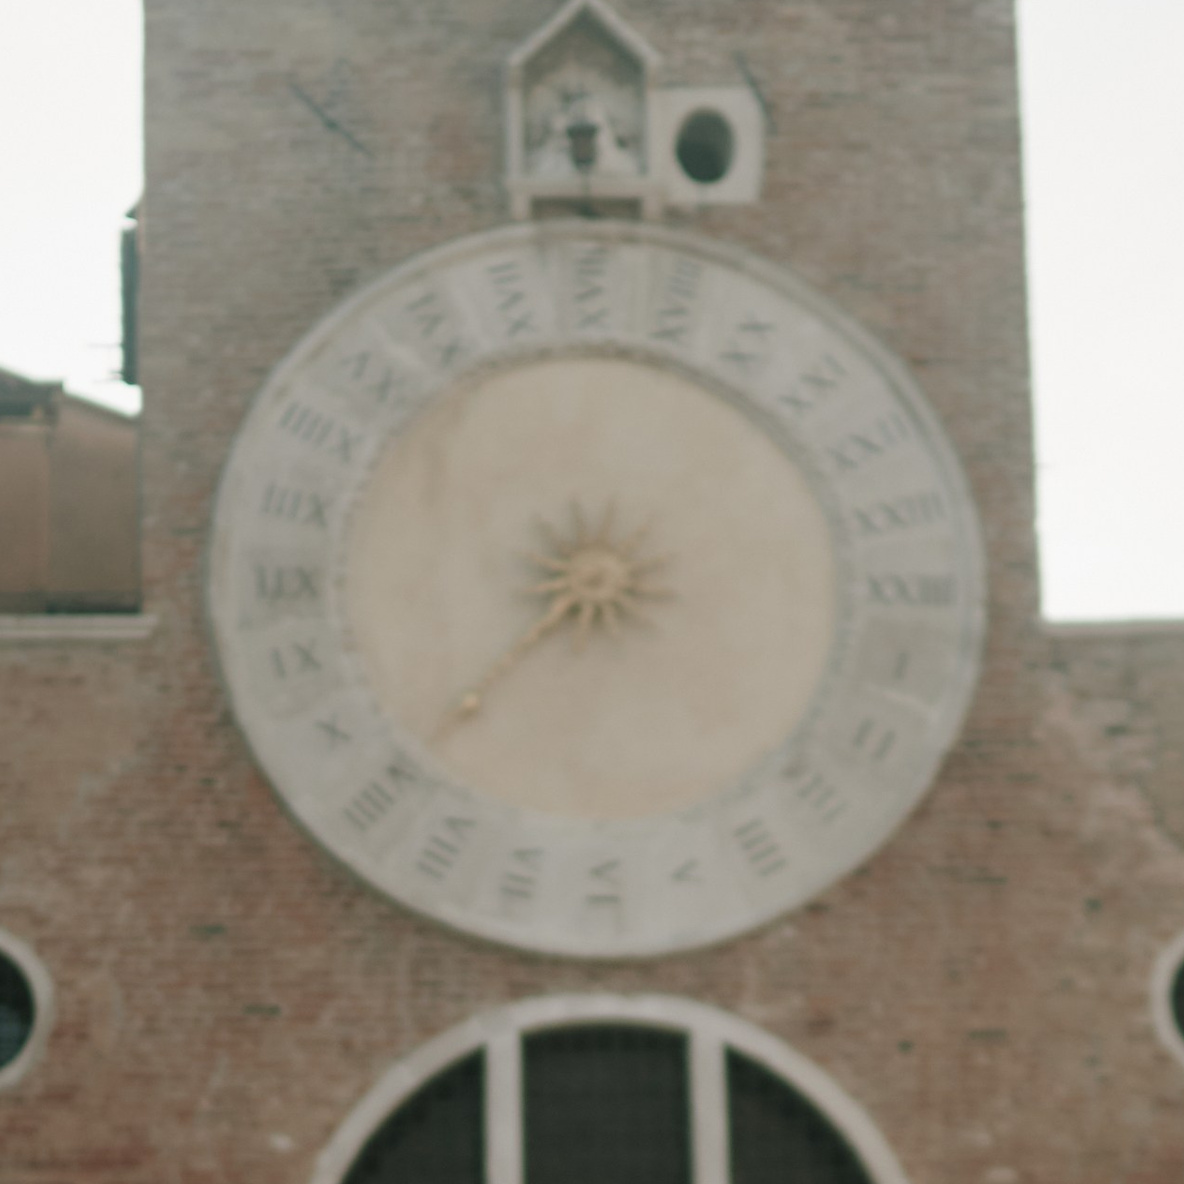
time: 7:37
